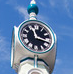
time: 11:17
